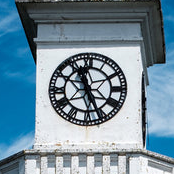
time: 11:26
